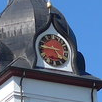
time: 4:46
